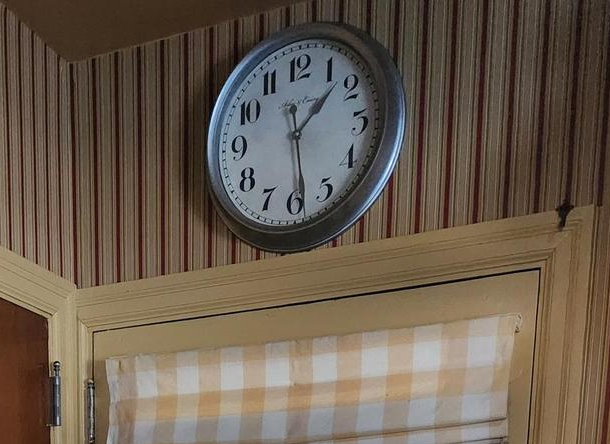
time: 1:28
